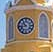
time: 10:43
